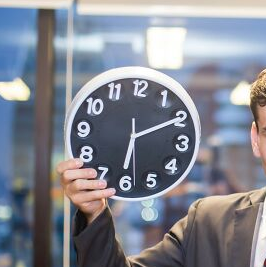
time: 6:10
